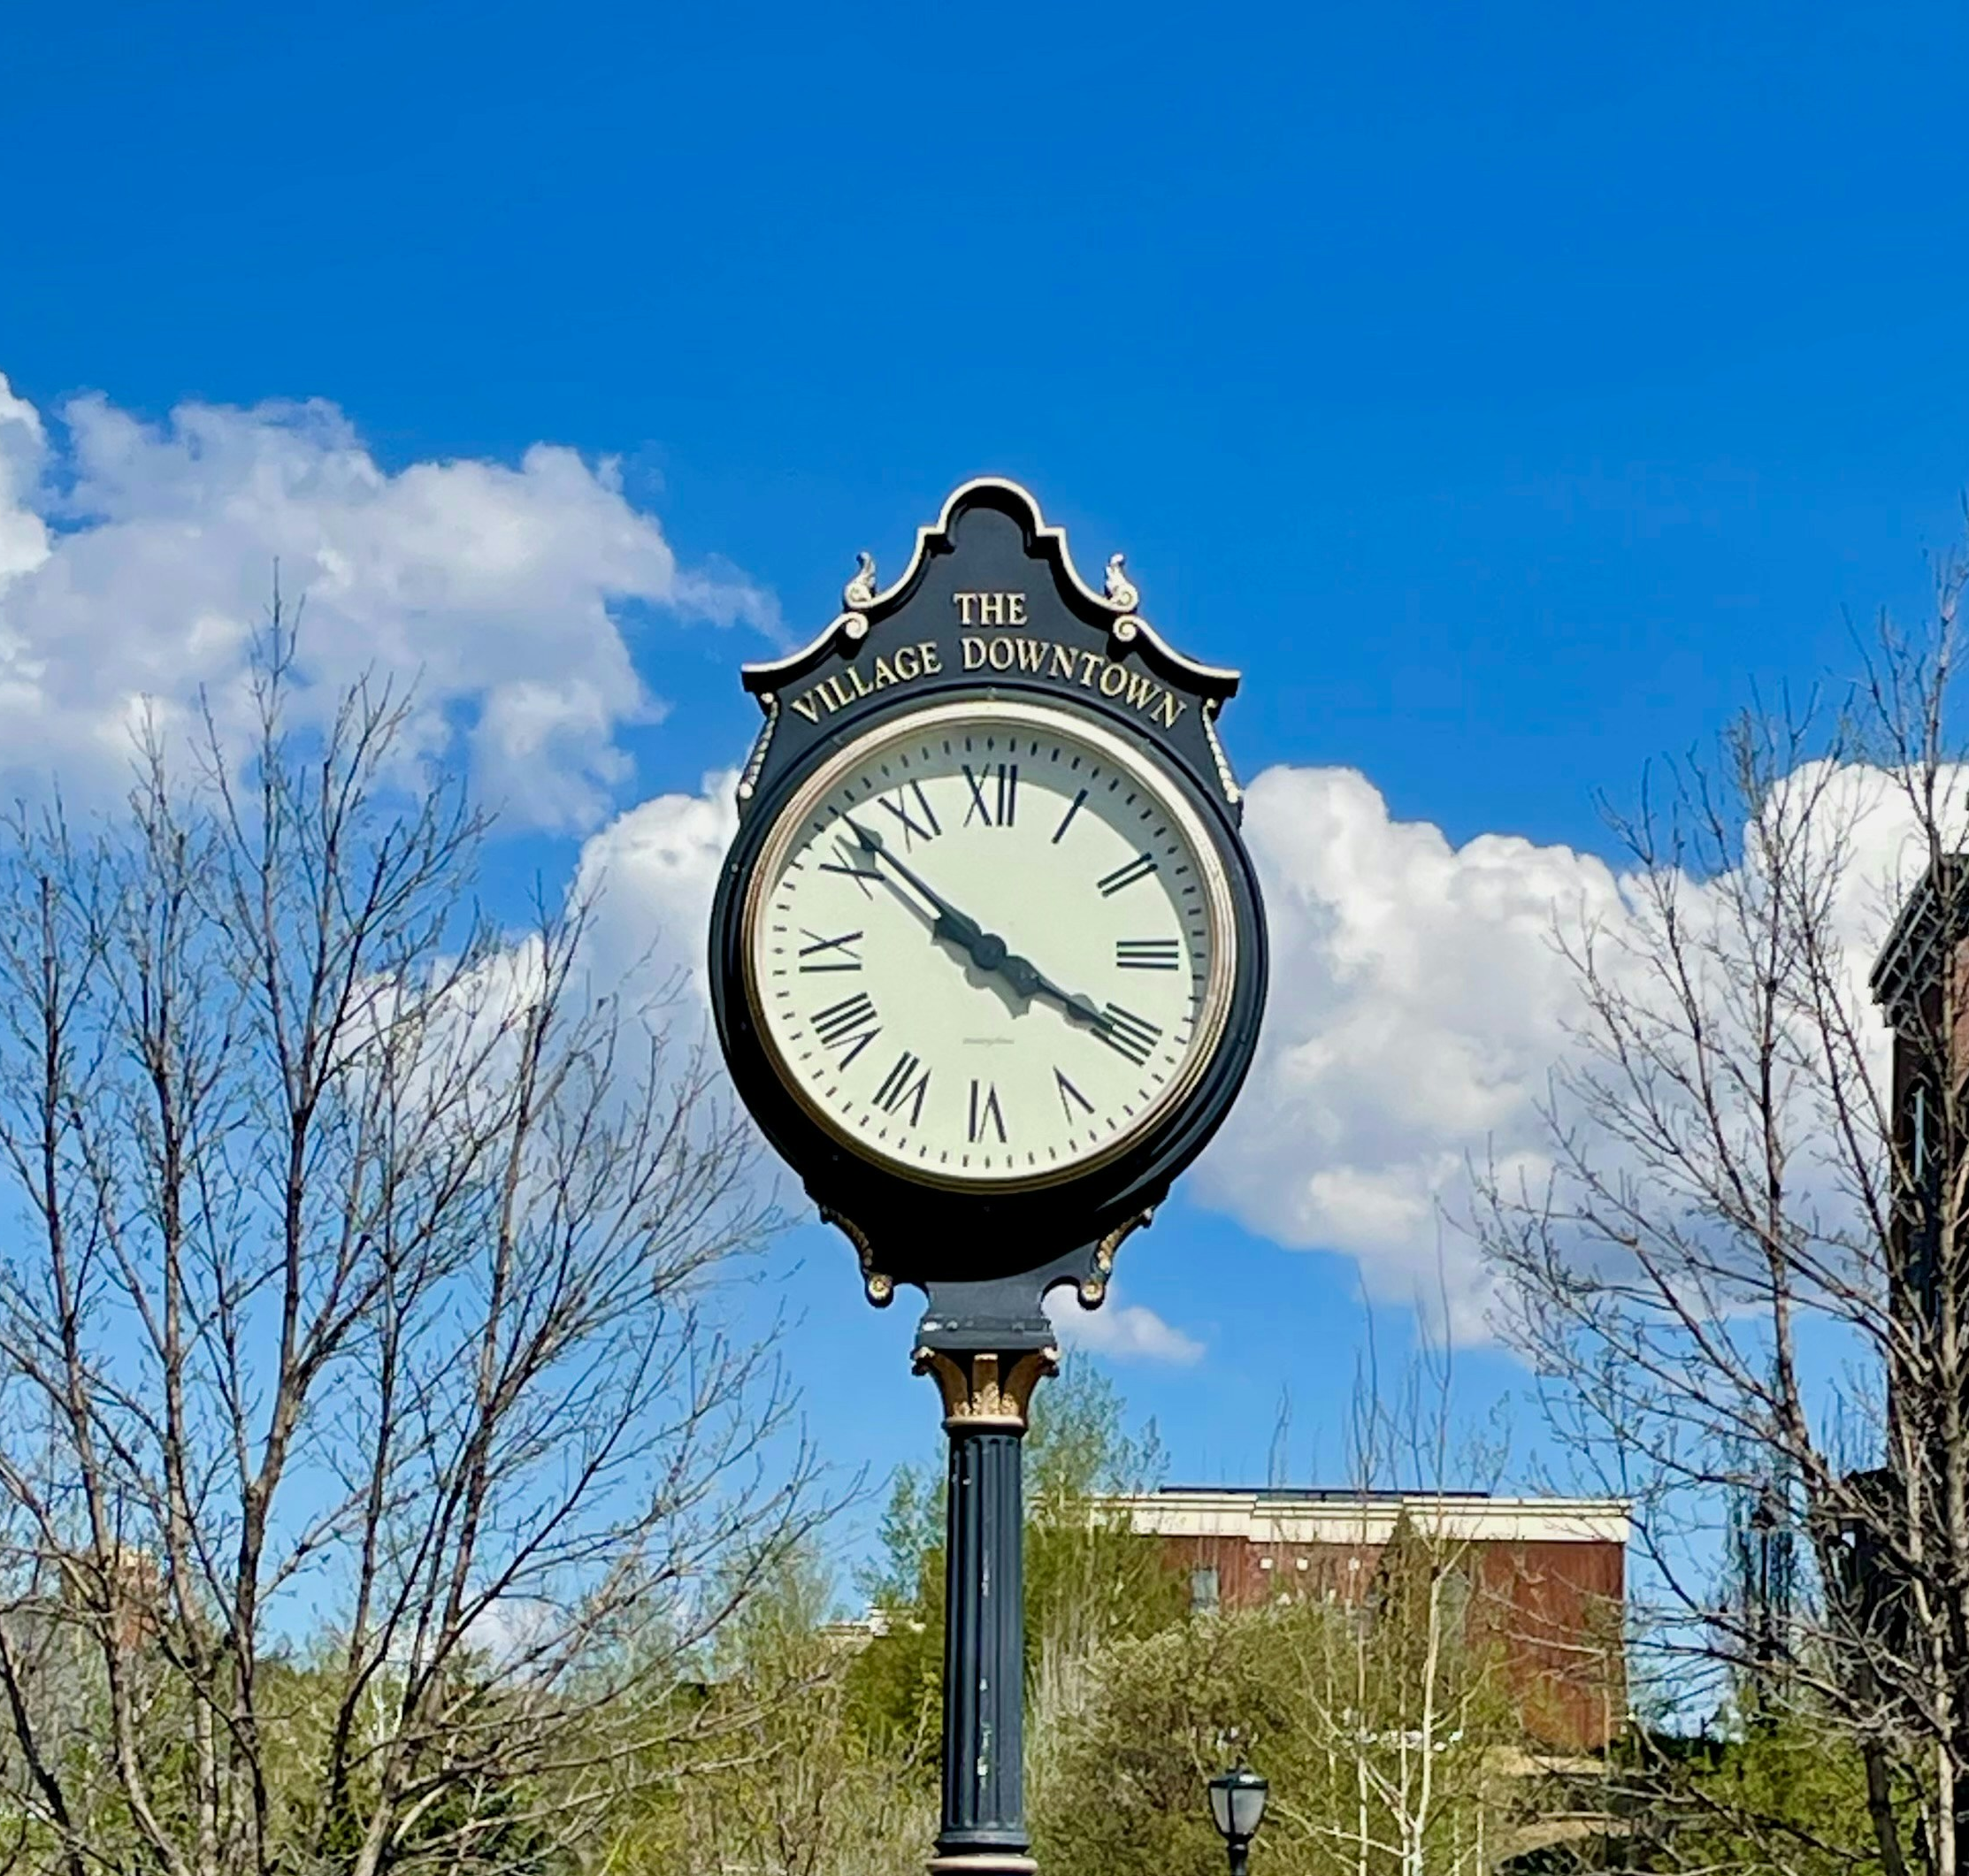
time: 3:52
